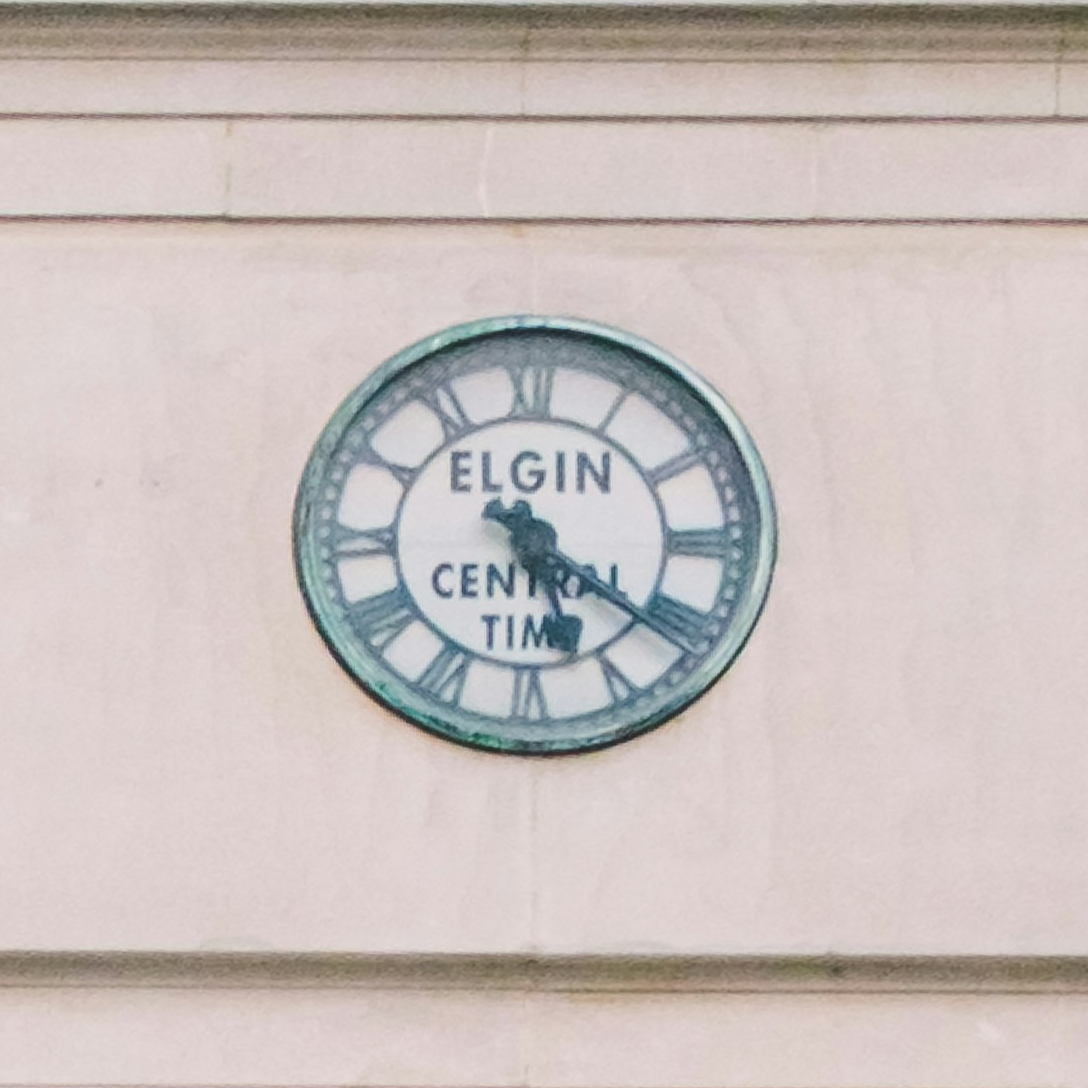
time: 5:20
